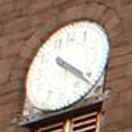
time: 4:21
